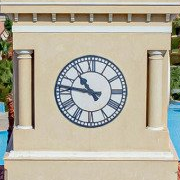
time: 10:46
